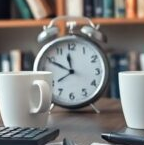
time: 11:49
